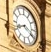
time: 8:19
